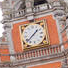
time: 1:38
